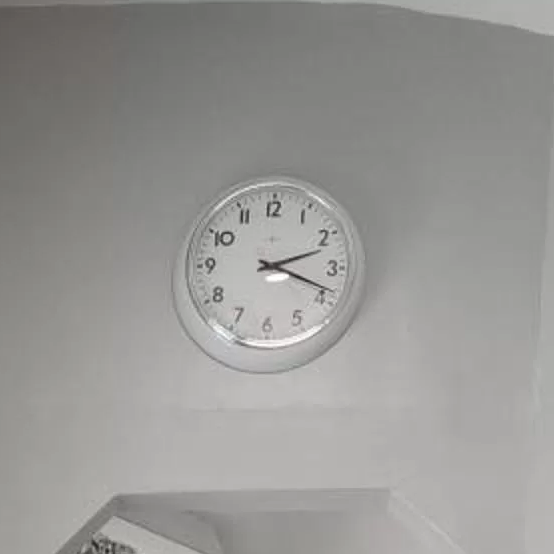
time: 2:18
